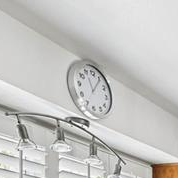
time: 11:05
